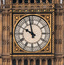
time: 9:57
